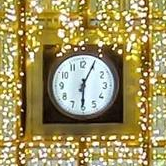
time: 6:04
